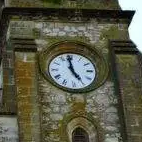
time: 4:59
